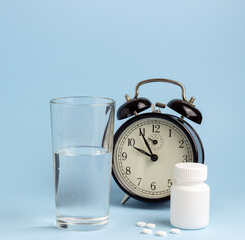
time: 9:55
